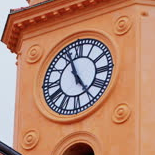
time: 4:56
